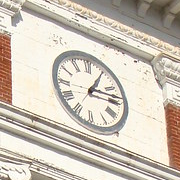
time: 1:13
